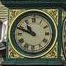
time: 10:48
